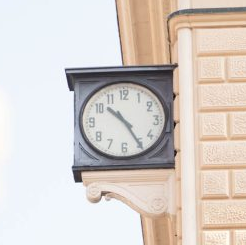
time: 10:24
